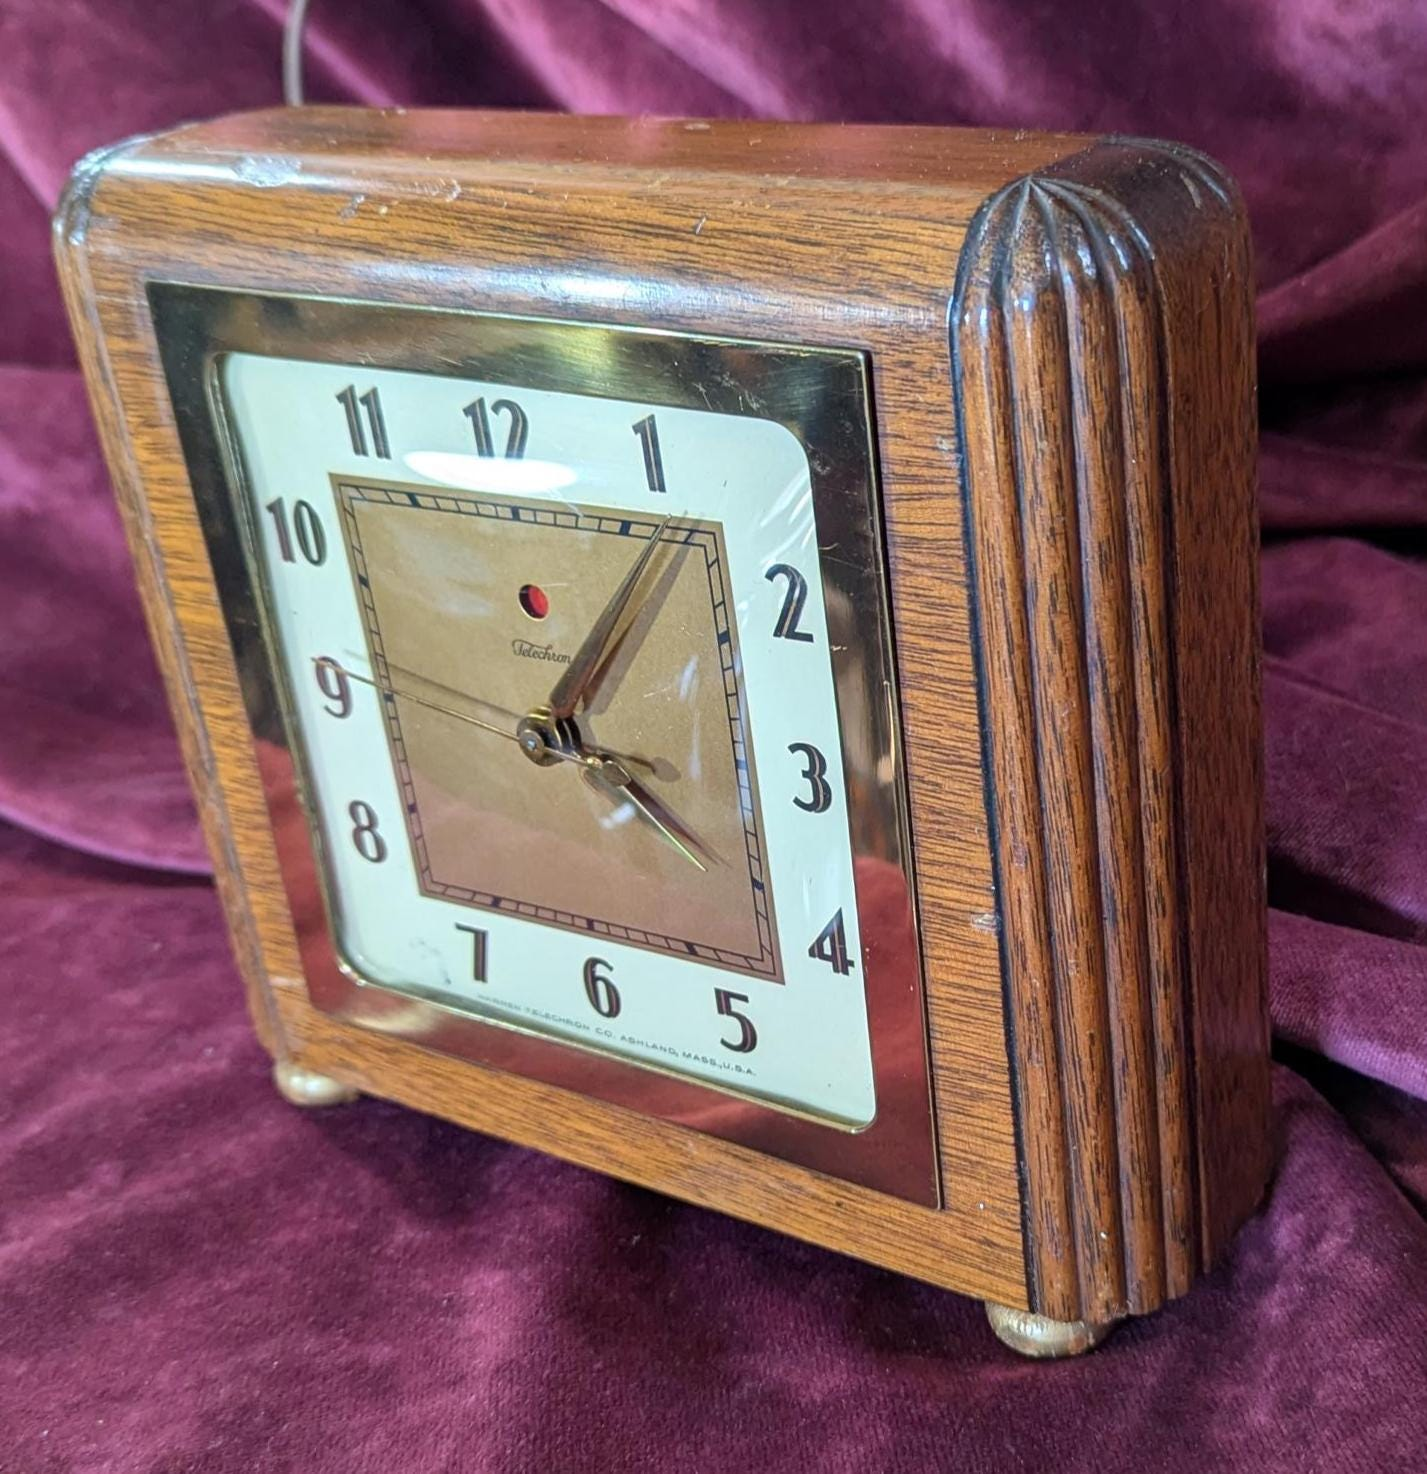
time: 4:06
